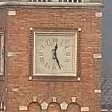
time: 12:26
